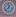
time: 12:37
